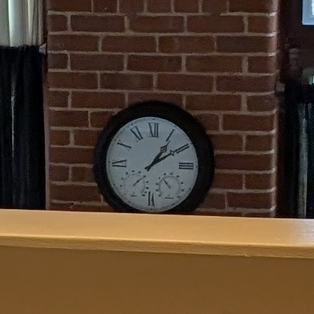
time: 1:09
